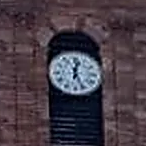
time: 12:26
